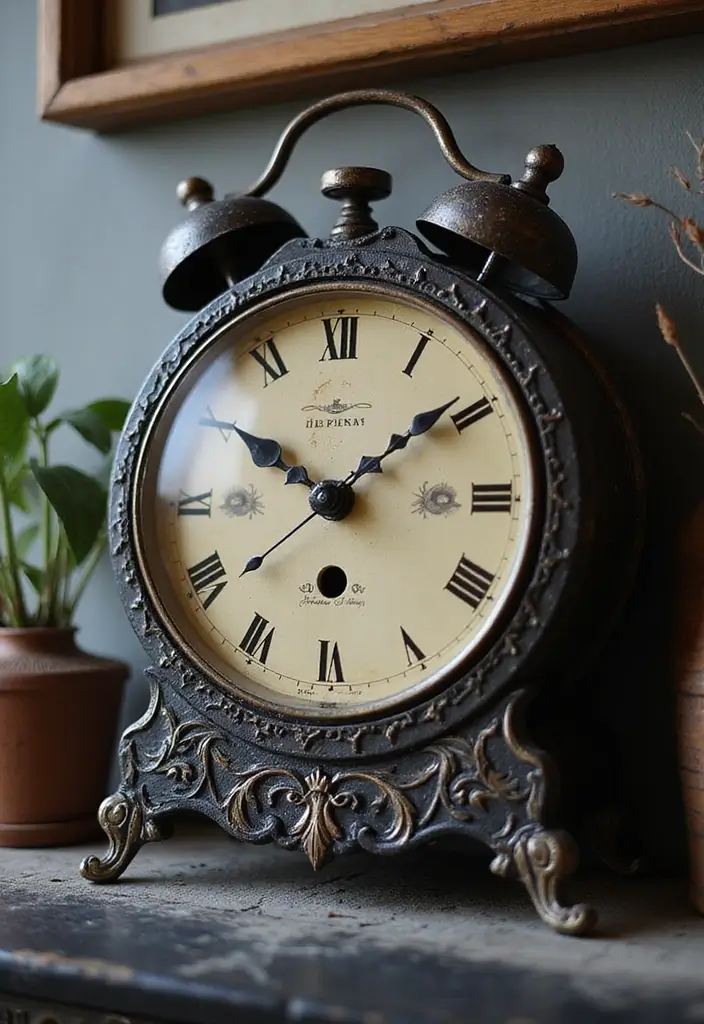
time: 10:08
